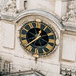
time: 12:49
